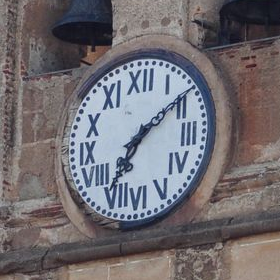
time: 7:09
